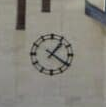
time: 1:20
